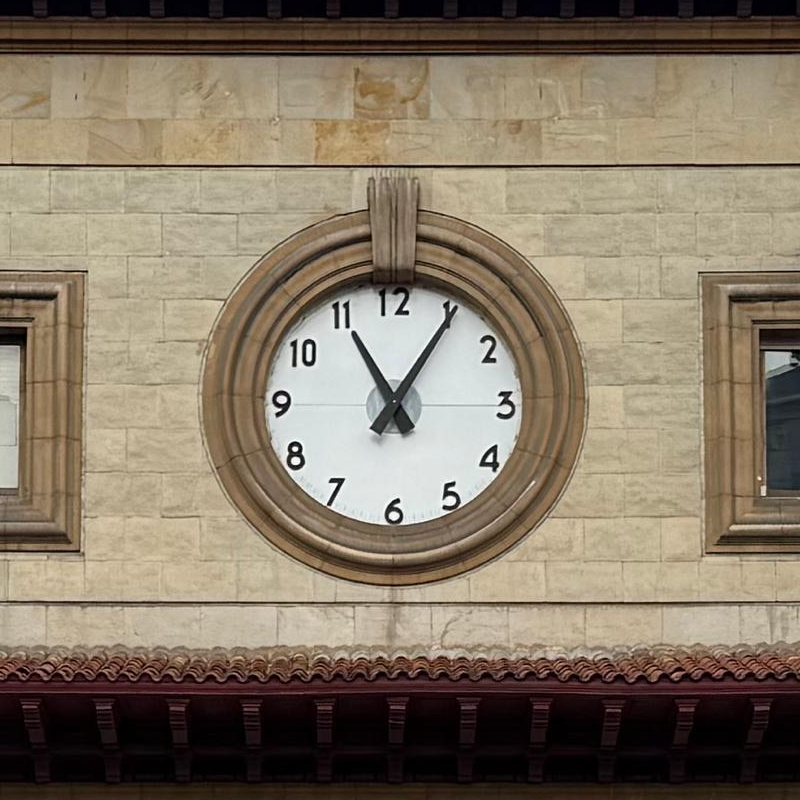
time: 11:05
